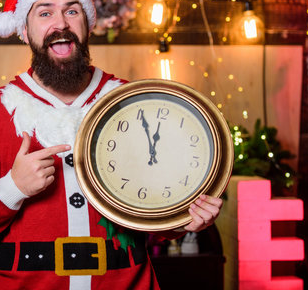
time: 11:55
